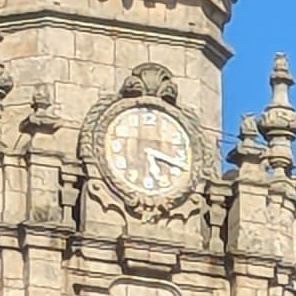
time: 5:18
